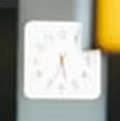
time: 5:34
